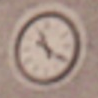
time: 11:20
